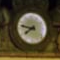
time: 7:46
